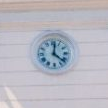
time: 12:21
